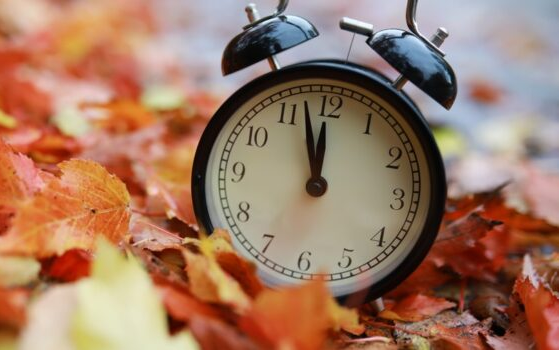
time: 11:57
